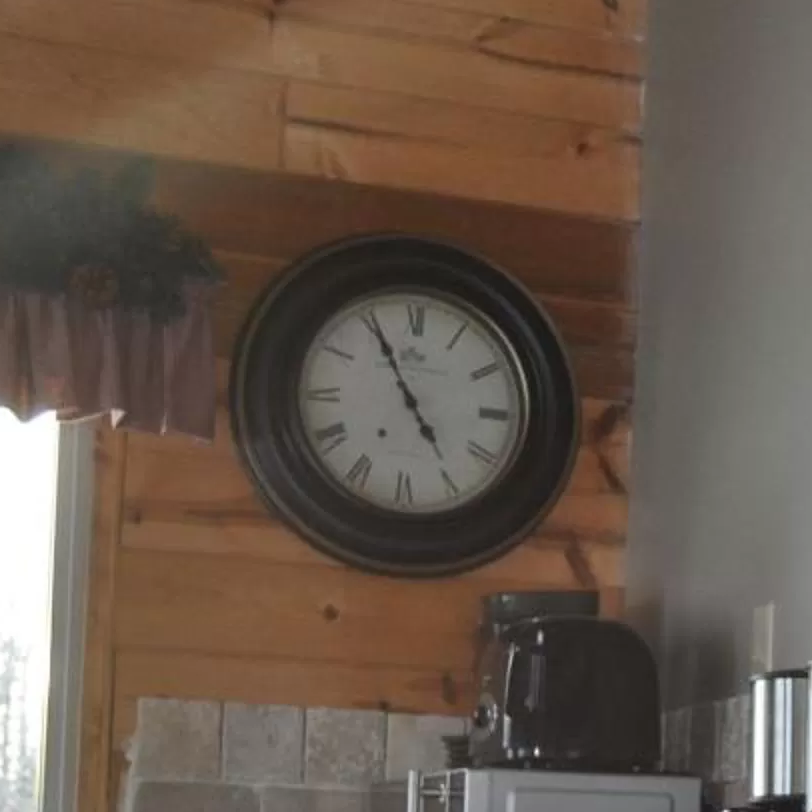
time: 4:55
